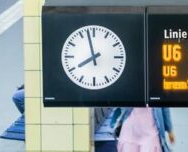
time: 7:57
